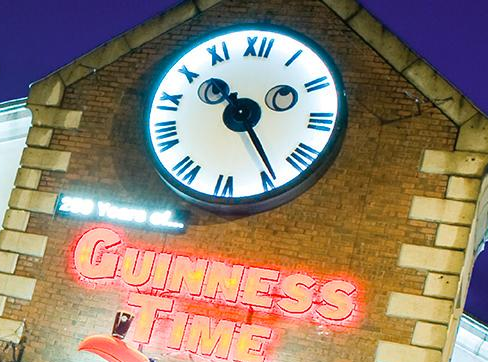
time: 10:23
